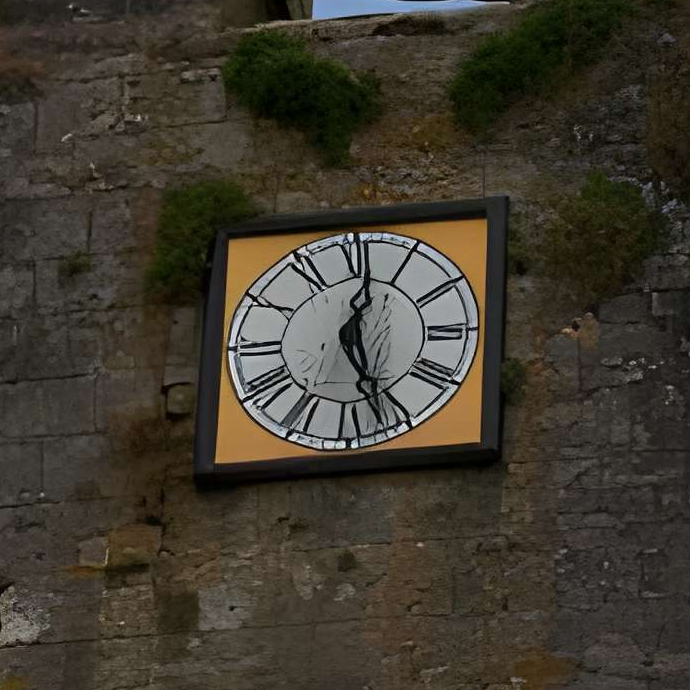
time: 12:26
